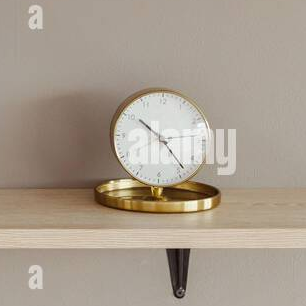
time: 10:23
